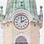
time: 2:00
